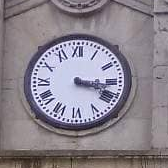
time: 3:18
